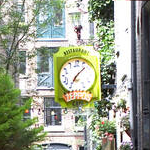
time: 7:07
